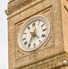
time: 4:35
